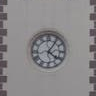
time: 4:05
